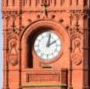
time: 2:02
